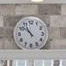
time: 10:51
